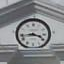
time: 3:43
